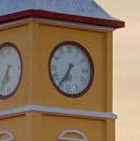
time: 6:36
